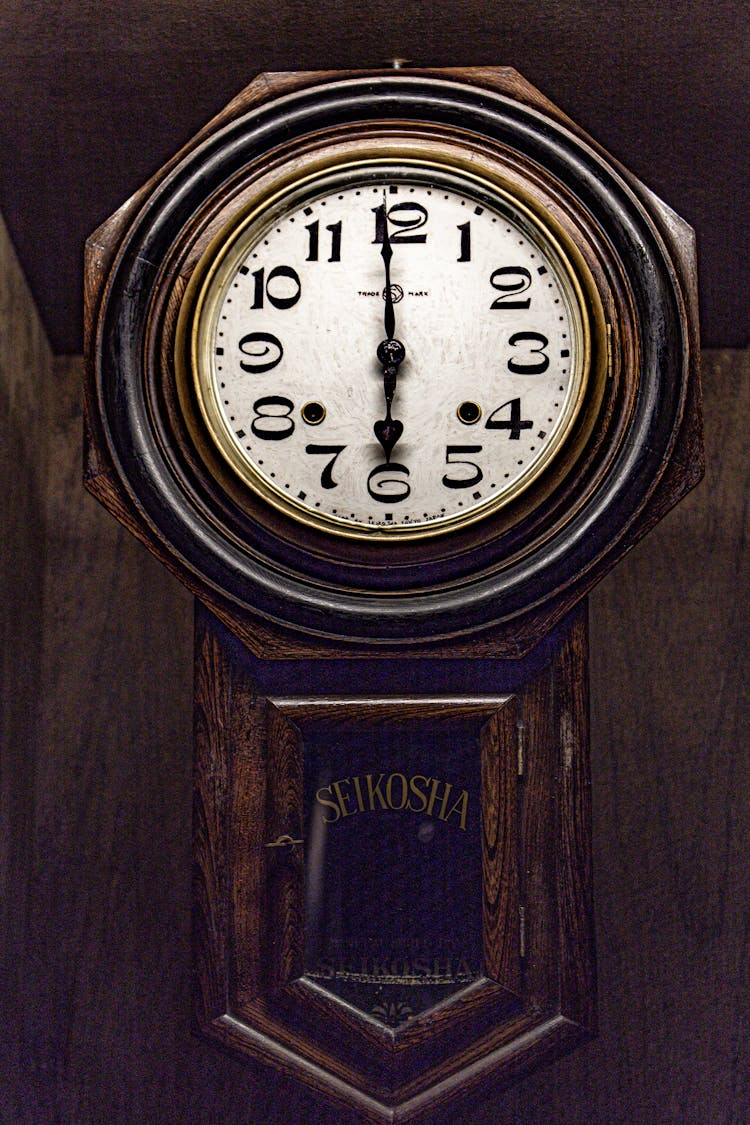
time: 5:59
